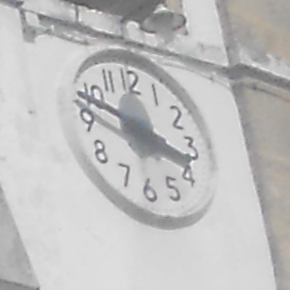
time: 3:48
